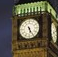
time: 5:25
